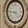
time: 4:45
